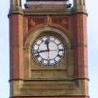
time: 11:42
